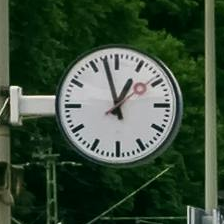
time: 12:57
